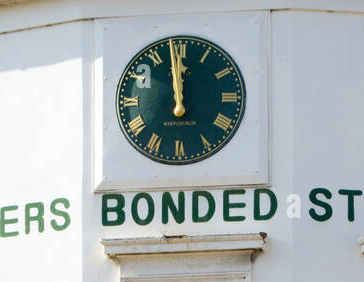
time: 11:58
